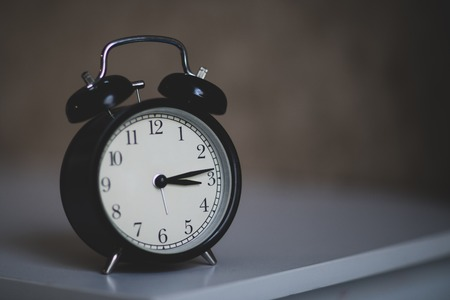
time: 3:13
